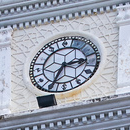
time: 2:34
